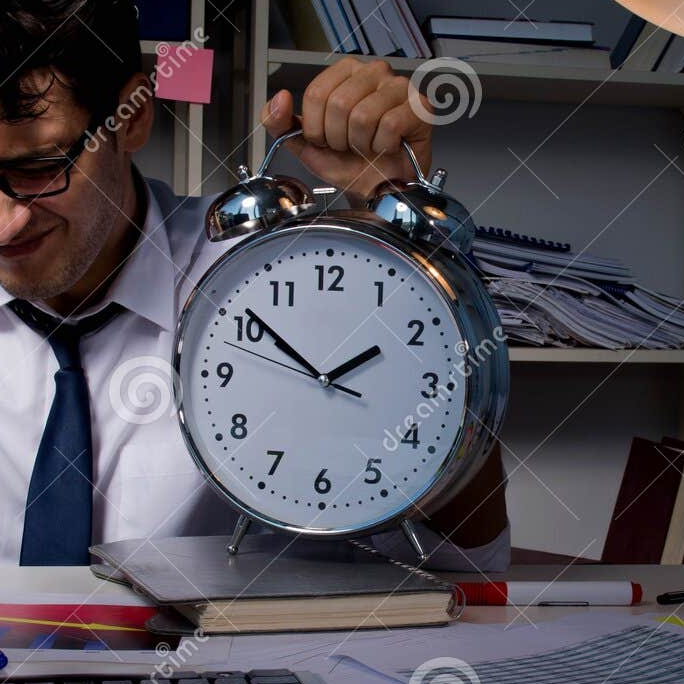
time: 1:51
